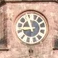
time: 10:42
